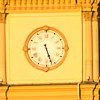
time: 5:26
